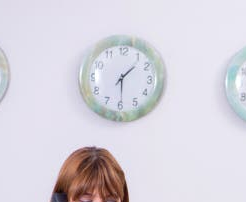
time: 1:29
